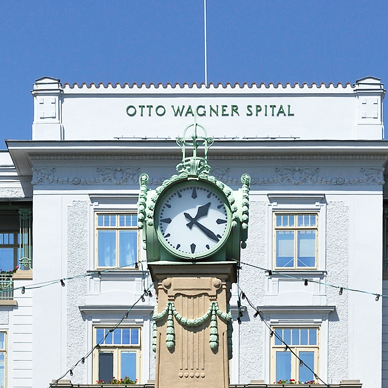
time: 1:21
